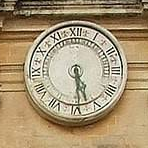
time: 5:29
